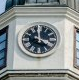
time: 3:58
